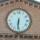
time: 6:30
